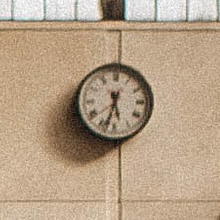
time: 5:33
